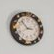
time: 2:54
